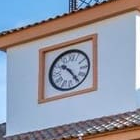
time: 10:24
